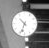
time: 10:33
